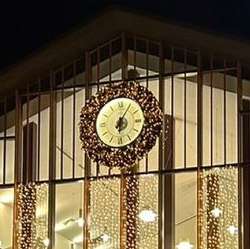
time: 6:05
